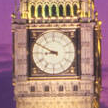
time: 8:49
